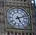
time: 5:12
